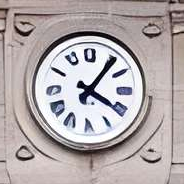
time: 4:06
